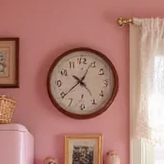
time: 10:04
